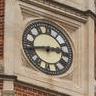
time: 2:42
